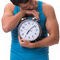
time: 7:08
